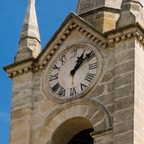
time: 1:08
